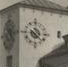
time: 6:21
